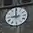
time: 8:59
